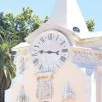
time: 9:16
